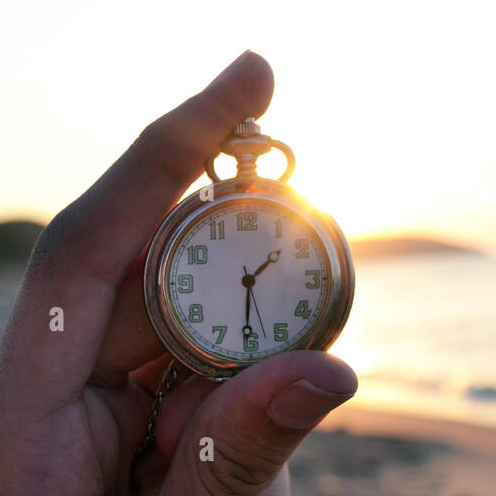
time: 1:30
